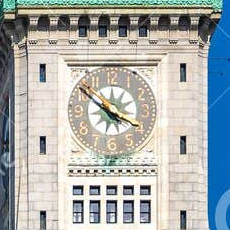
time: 3:51
